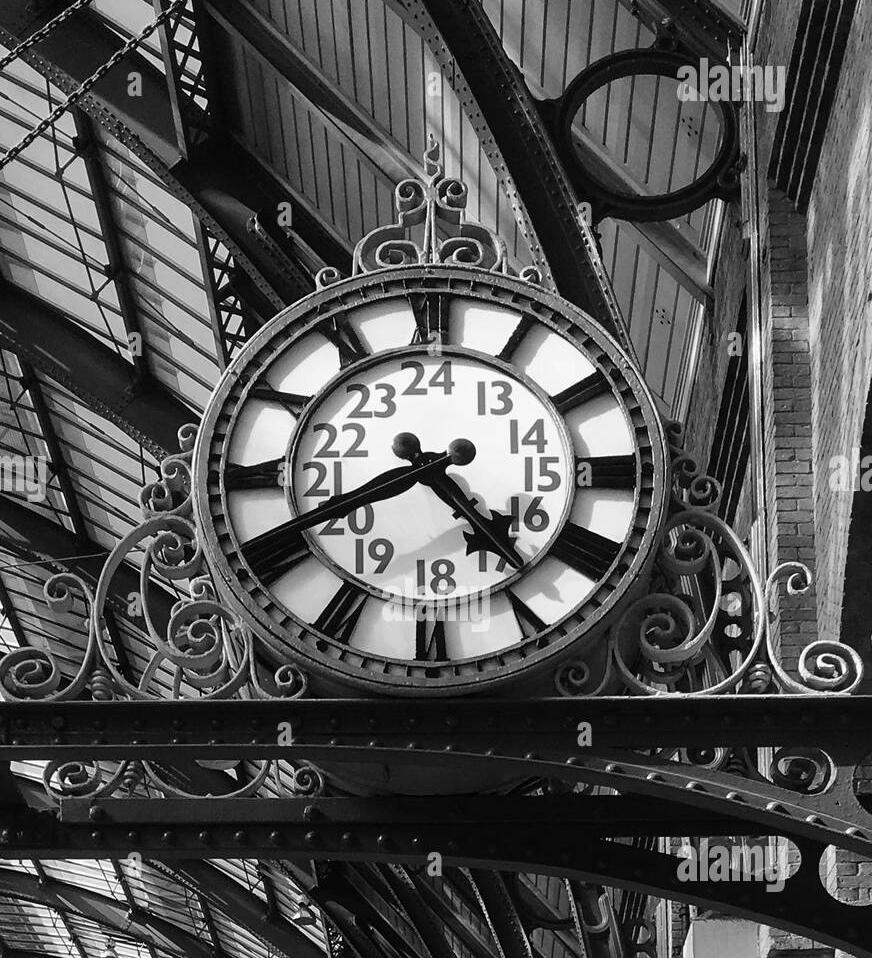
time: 4:40
